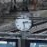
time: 2:28
